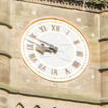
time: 8:48
